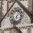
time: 6:06
